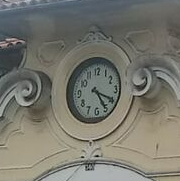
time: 5:19
